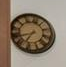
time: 6:40
